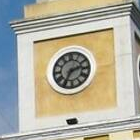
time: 2:35
